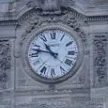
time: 10:46
